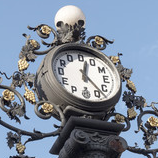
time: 12:23
